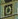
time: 7:00
